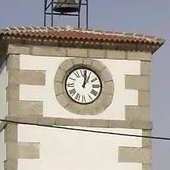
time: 1:01
